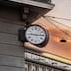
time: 9:15
